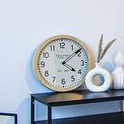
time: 4:08
